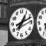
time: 1:11
